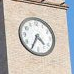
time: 4:34
